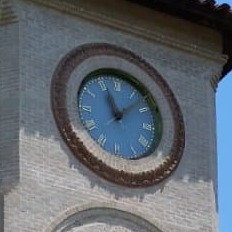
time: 11:07
